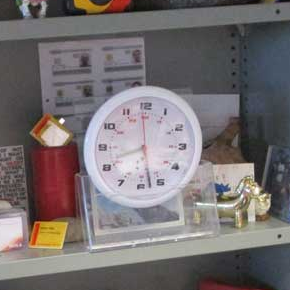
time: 8:27
